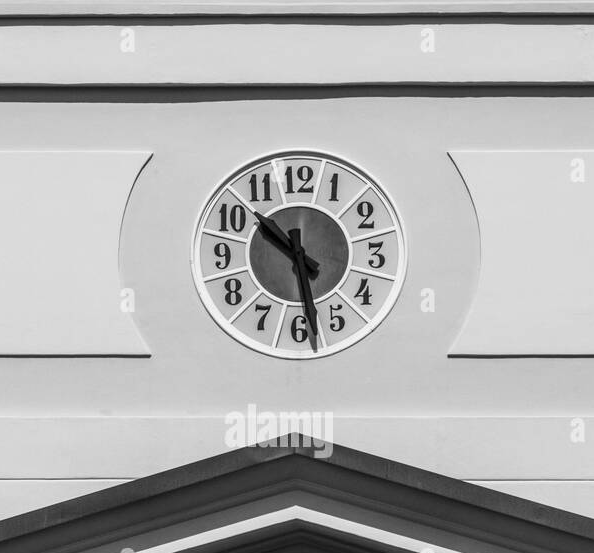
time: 10:28
